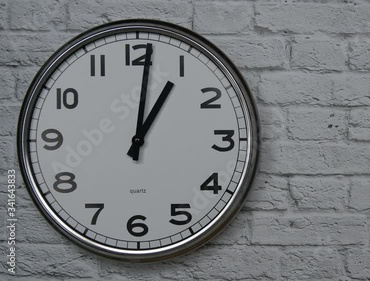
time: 1:01
